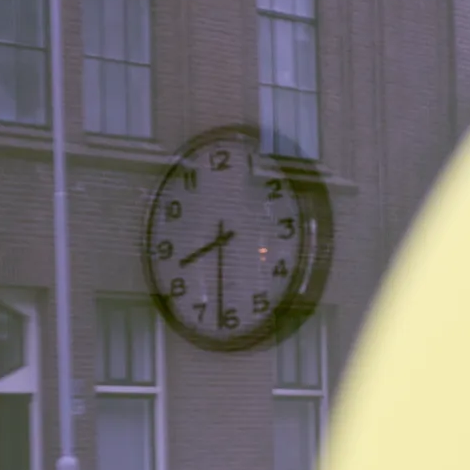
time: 8:31
